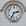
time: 2:34
